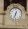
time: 12:33
